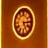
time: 5:14
